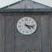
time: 4:16
